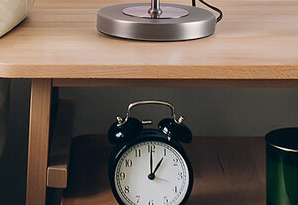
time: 1:00
